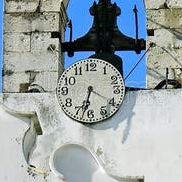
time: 6:32
